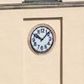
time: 10:07
